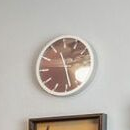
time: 11:28
